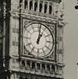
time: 1:01
